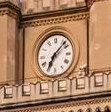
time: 7:07
